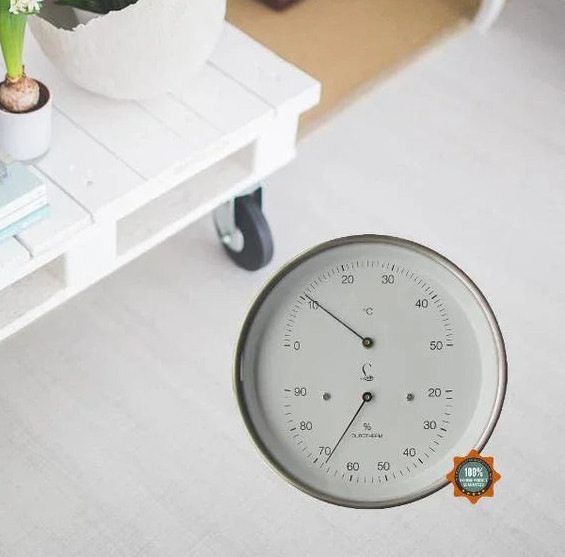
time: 6:50
